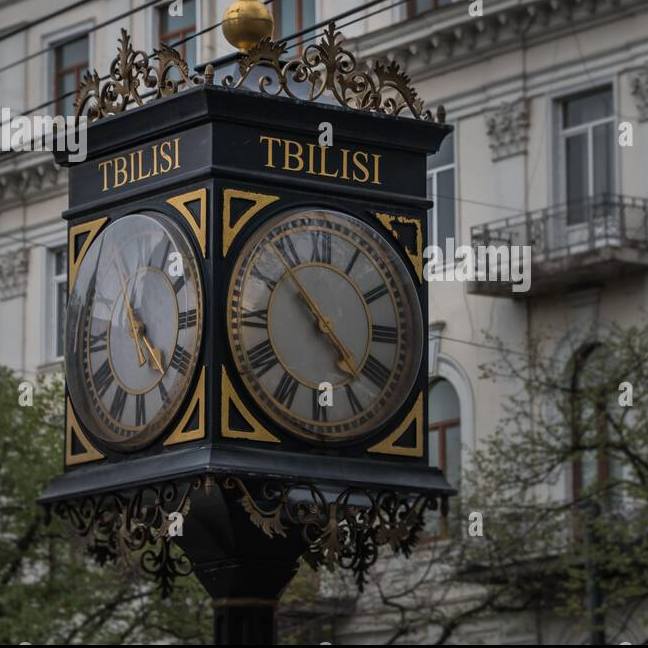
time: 10:23
